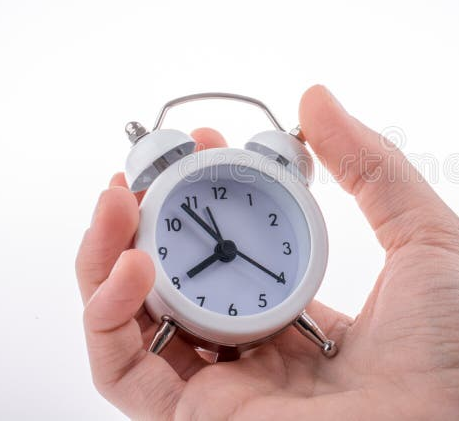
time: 7:53
